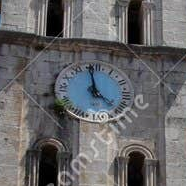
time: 3:58
